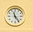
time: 11:24
